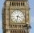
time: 3:32
